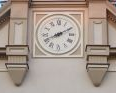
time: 8:10
